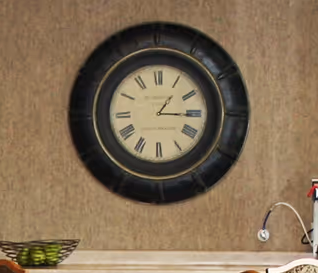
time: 1:15
